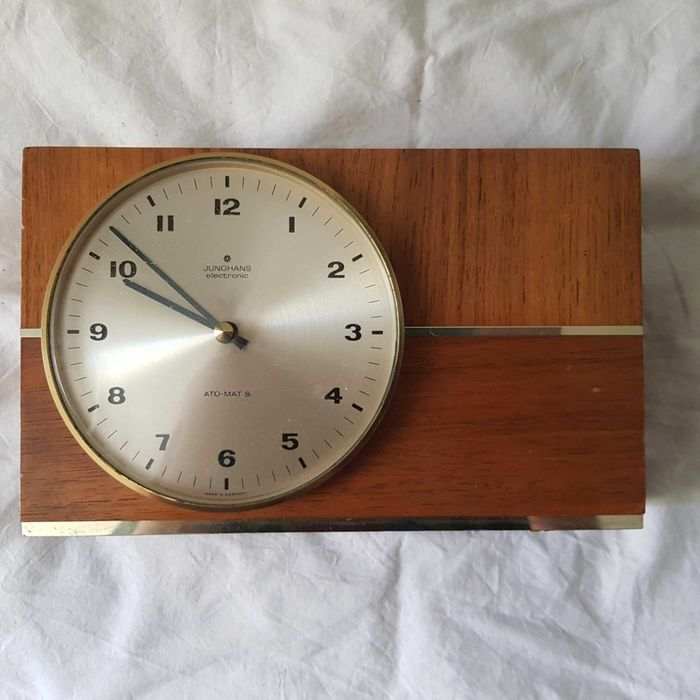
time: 9:51
